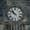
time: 10:51
